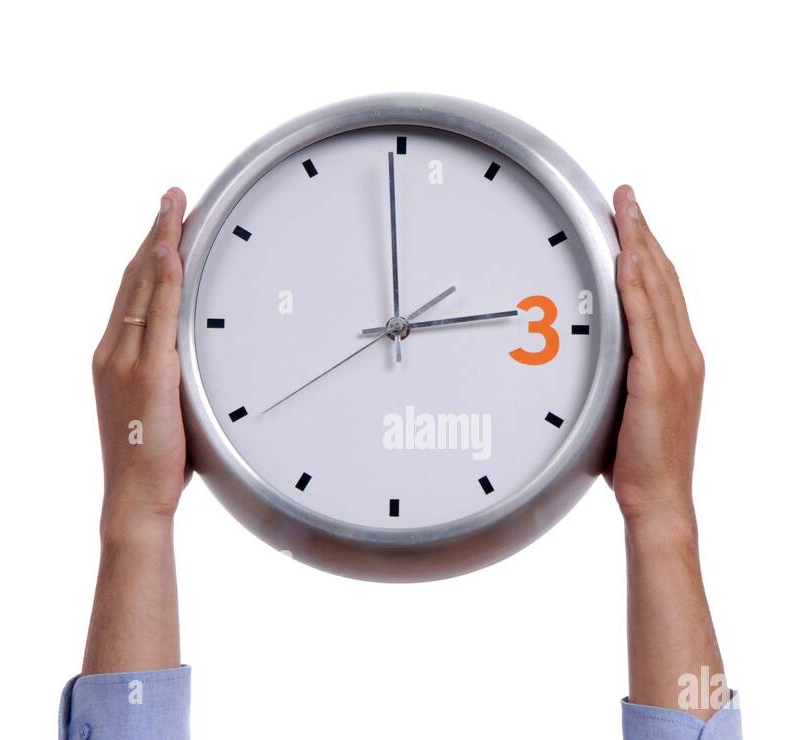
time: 2:59
